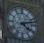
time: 4:12
